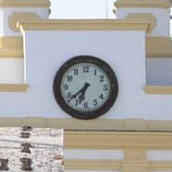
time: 6:38
